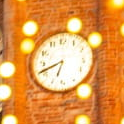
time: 6:41
